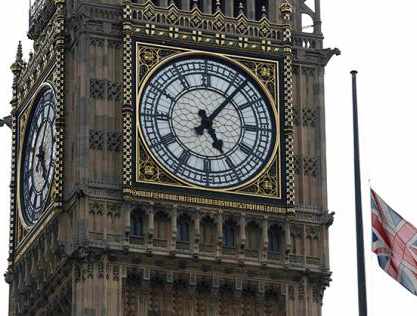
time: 5:06
